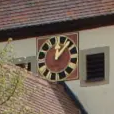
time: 12:06
